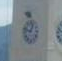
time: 12:47
